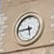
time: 5:45
